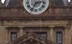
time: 2:34
